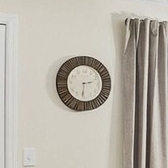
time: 2:31
